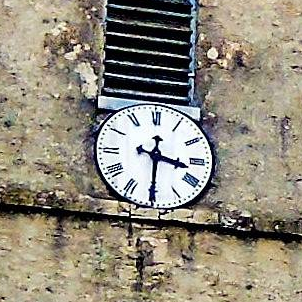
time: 3:30
